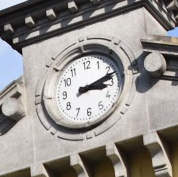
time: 3:11
